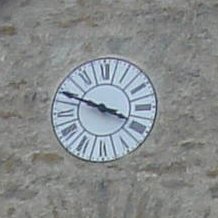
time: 3:48
